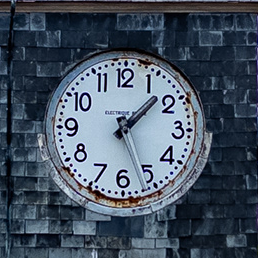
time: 1:26
